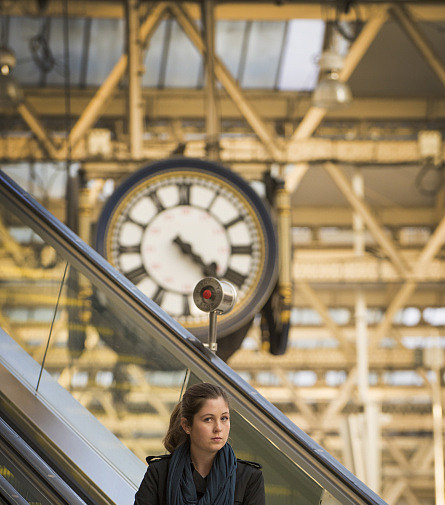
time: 4:22
